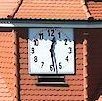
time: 12:28
